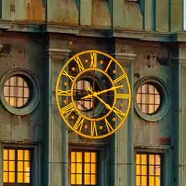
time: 8:20
